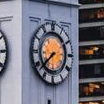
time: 7:38
